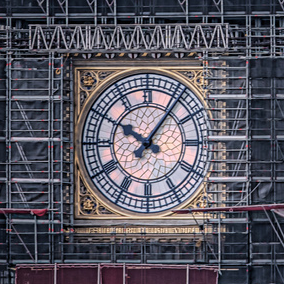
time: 10:06
